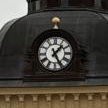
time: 1:25
